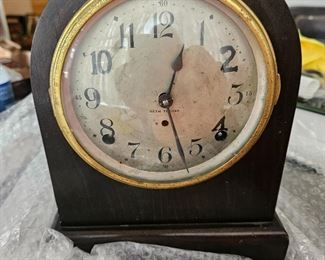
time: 12:27
